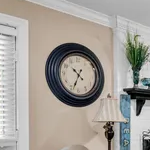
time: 10:34
